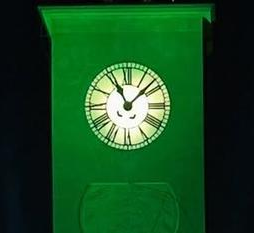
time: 11:07
